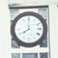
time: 7:59
